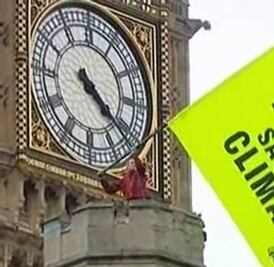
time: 4:21
